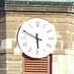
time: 5:49
